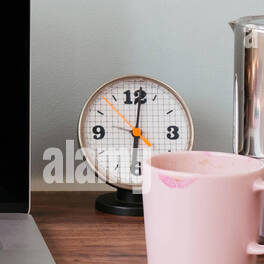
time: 6:01
